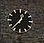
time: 12:37
